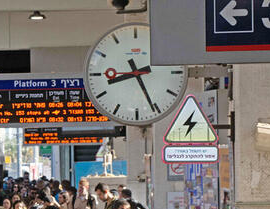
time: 8:25
